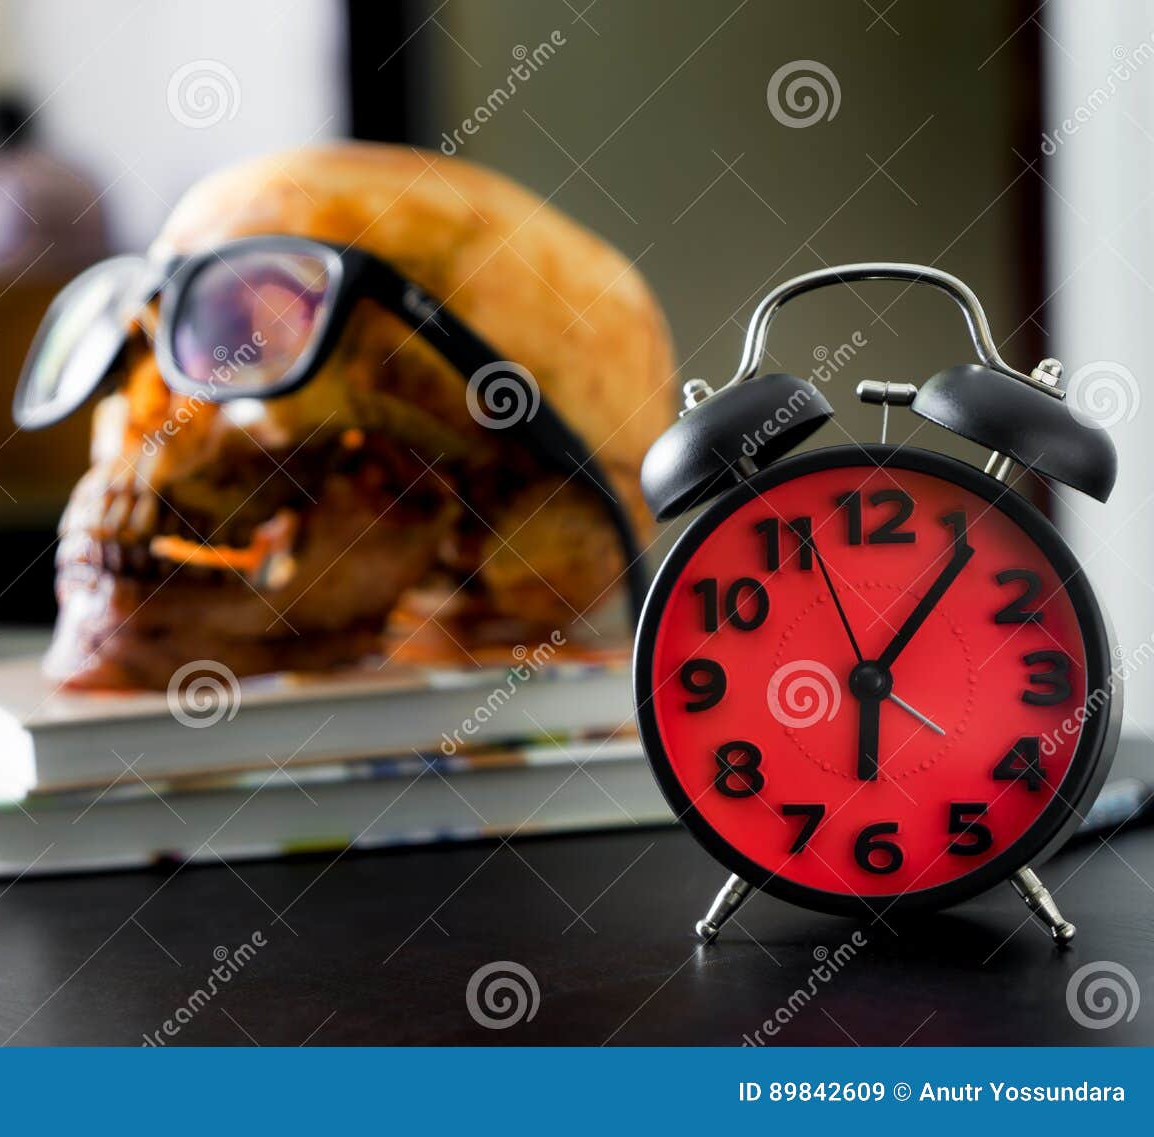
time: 6:06
